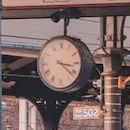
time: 3:21
